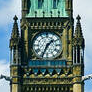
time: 1:34
